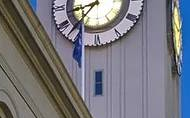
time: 8:37
